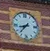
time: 8:37
